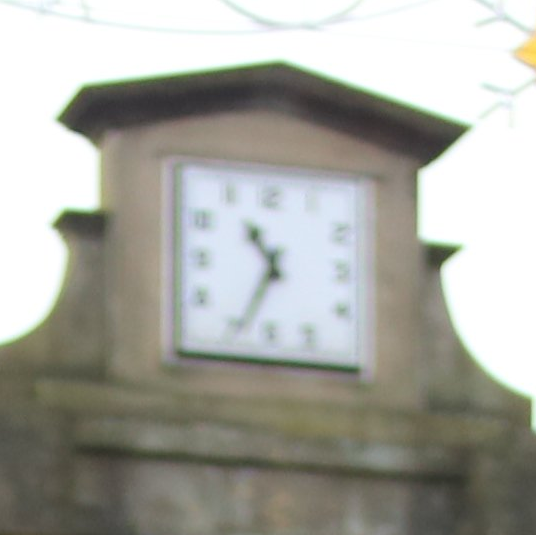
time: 10:34
